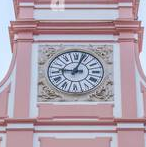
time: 9:03
